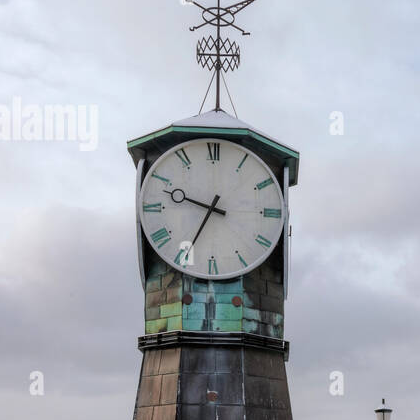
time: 9:34
